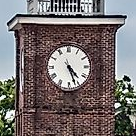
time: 4:26
